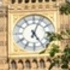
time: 5:03
